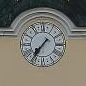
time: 7:36
